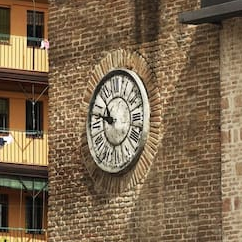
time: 10:47
